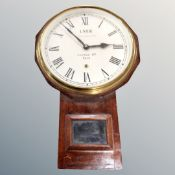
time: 2:53
